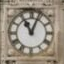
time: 11:03
